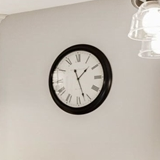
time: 1:26
